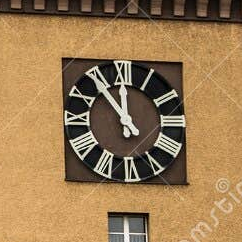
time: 11:53
